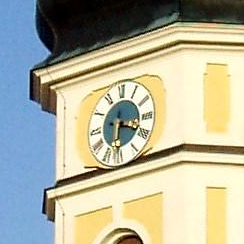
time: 6:18
